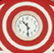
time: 10:29
